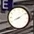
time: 8:09
